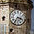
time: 3:35
